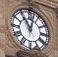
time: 11:02
